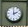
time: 1:59
